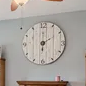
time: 2:00
